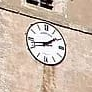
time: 1:42
